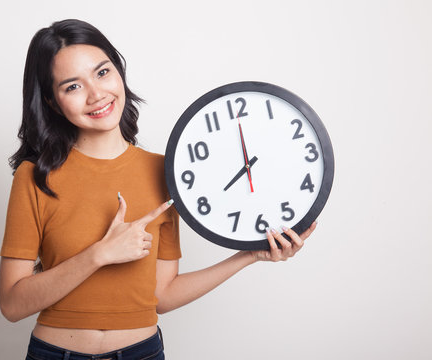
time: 7:59
